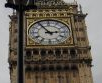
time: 2:54
